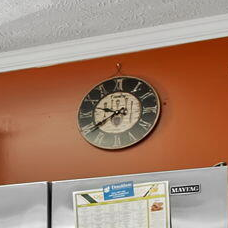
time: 9:39
